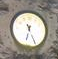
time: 6:25
